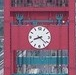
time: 8:21
